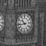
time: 10:43
